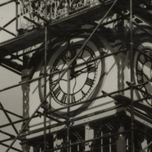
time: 12:12
